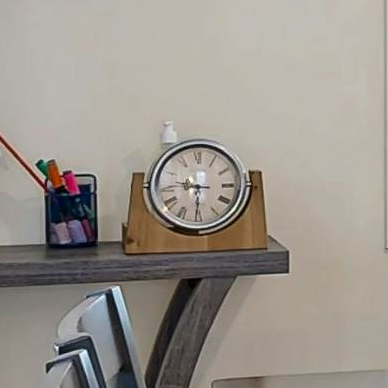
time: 9:30
